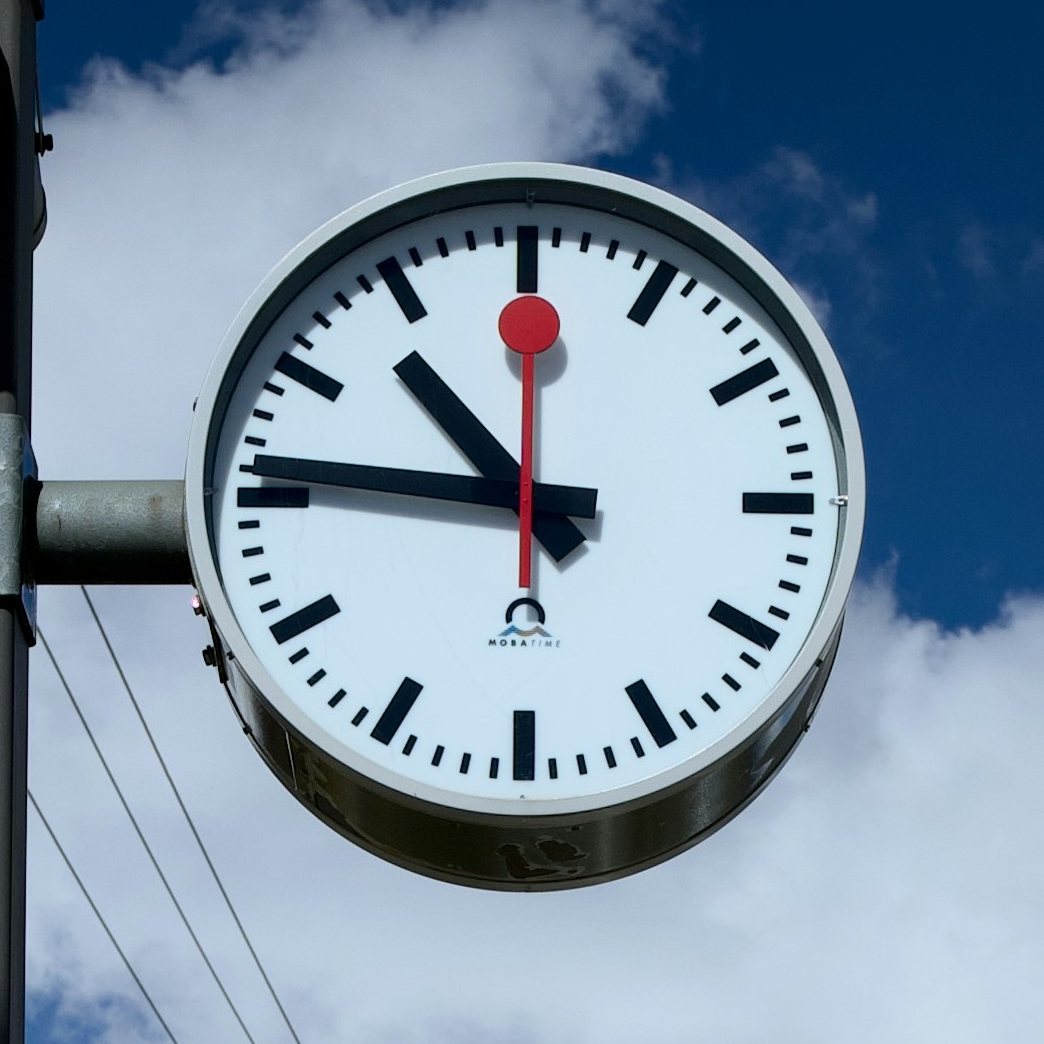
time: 10:46
